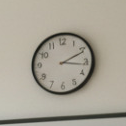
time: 2:16
